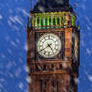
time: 4:39
